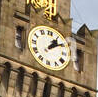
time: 1:09
